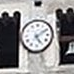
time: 5:09
